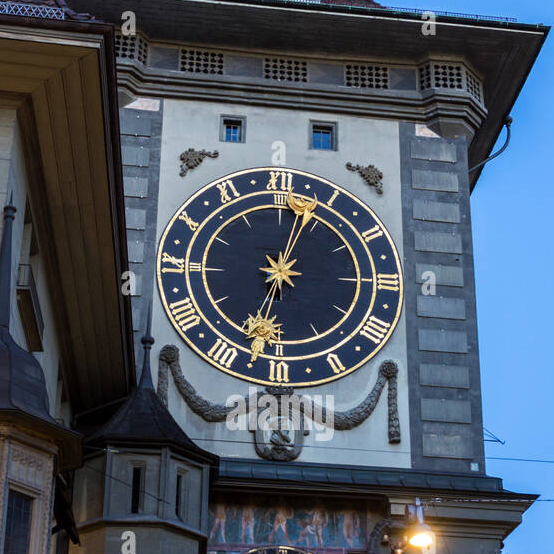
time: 12:32
